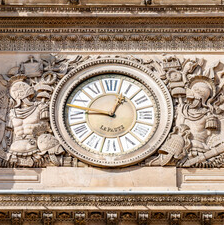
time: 12:46
